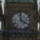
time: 3:58
